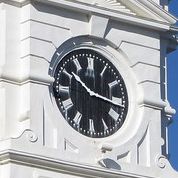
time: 10:16
